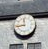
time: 11:43
